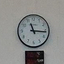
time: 11:15
